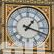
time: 1:18
